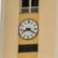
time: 8:20
